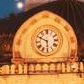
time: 5:49
